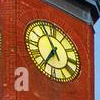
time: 6:55
